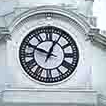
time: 12:48
